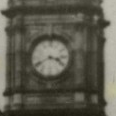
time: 3:40
